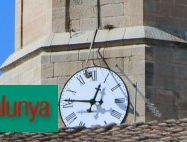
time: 12:46
